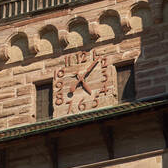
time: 5:07
